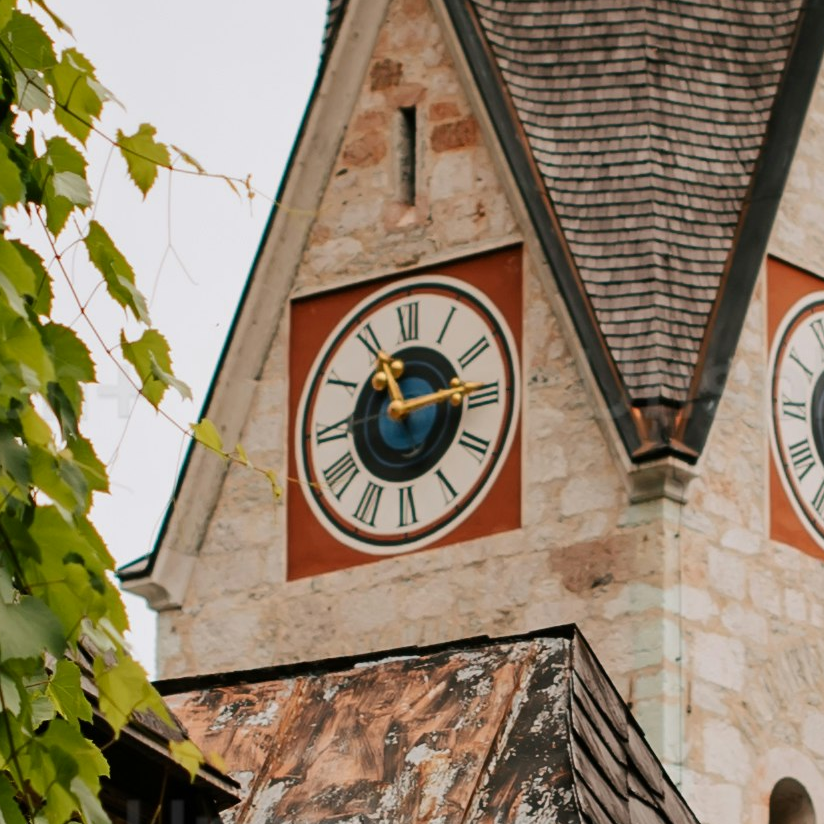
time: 11:13
